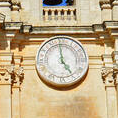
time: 4:59
